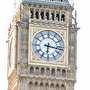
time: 6:16
